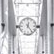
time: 12:23
